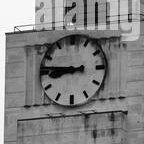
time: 8:46
